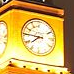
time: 7:45
